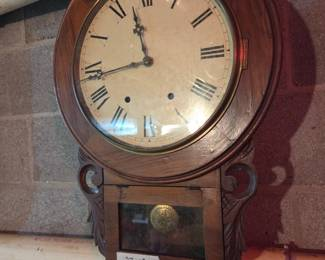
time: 11:43
